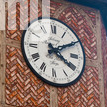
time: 4:09
